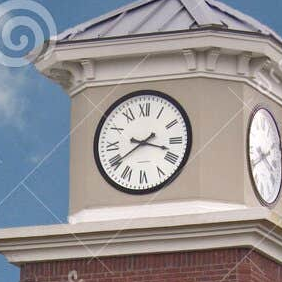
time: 3:39
